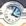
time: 4:04
